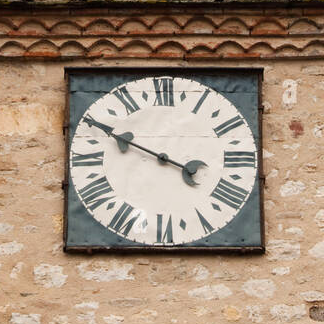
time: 3:49
